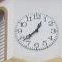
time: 12:38
